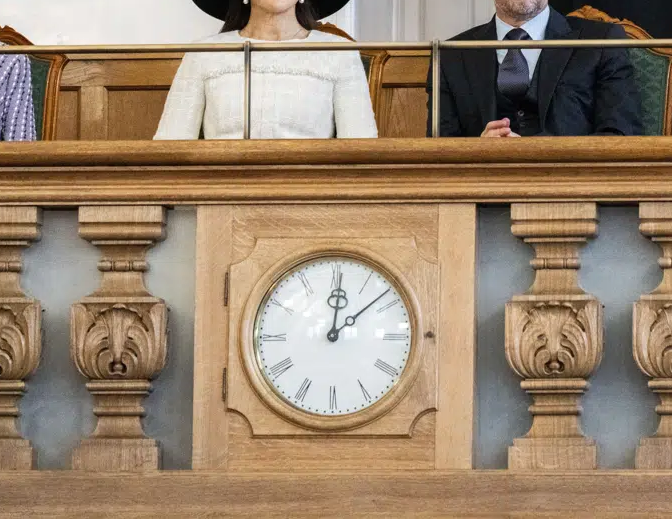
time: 12:08
